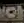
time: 4:12
